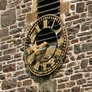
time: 2:40
